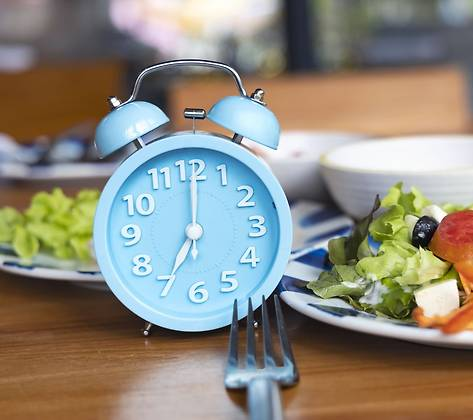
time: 7:00
